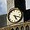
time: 5:18
